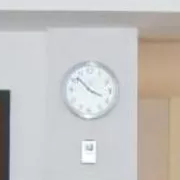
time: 3:52
